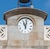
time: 11:02
